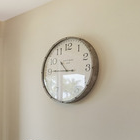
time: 10:45
